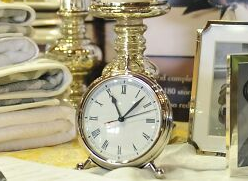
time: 11:07
